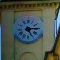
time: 5:14
